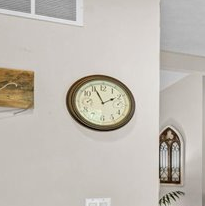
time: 1:55
